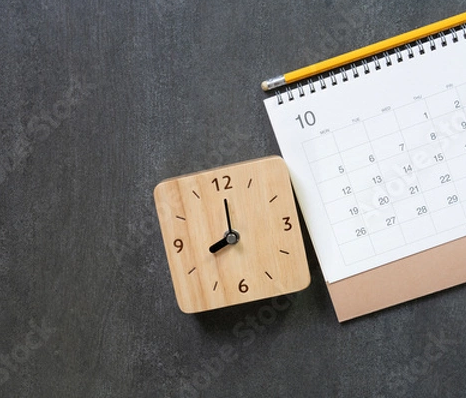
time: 8:00
